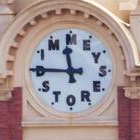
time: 11:45
